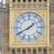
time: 1:40
